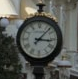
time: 3:07
